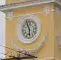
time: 5:55
